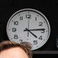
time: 4:13
